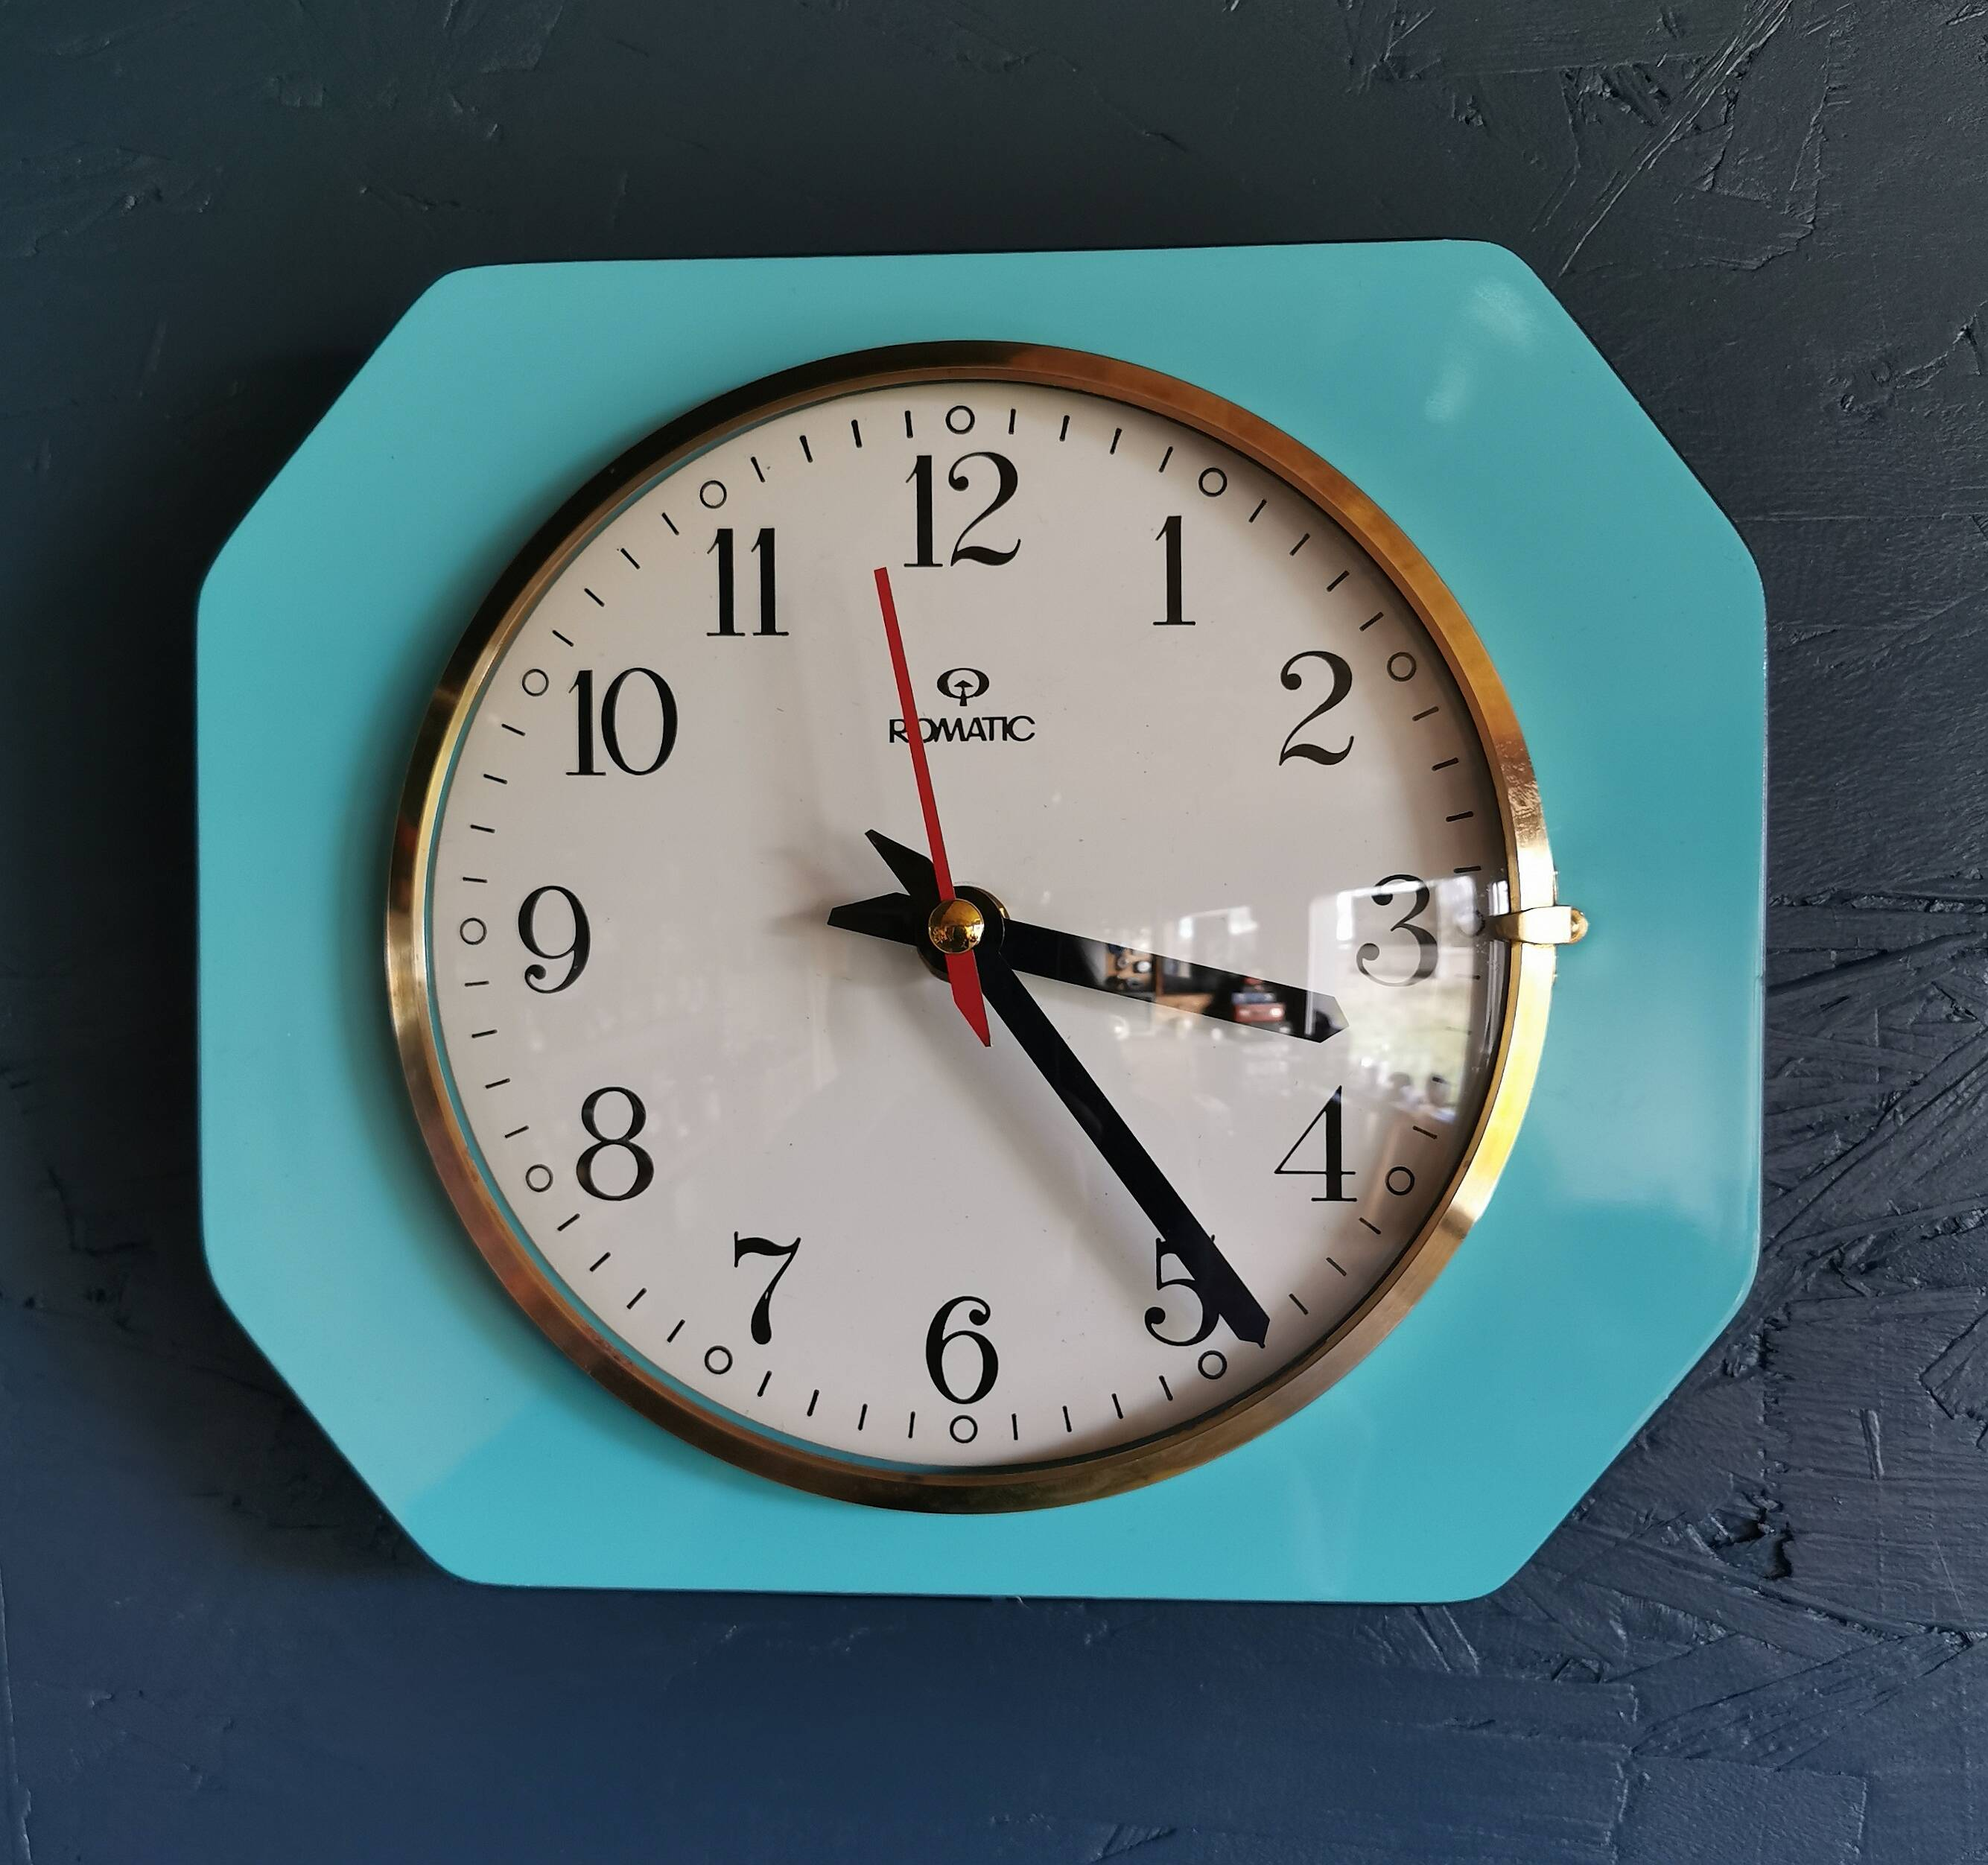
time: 3:23
